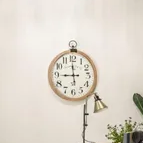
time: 8:59
